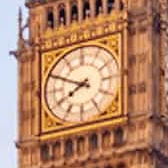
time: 7:49
